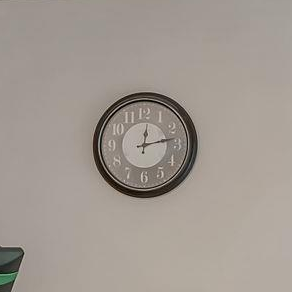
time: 12:13
